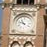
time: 10:47
